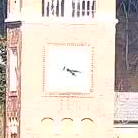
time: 4:16
